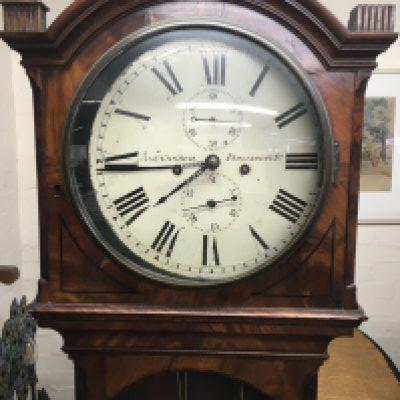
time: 7:44
